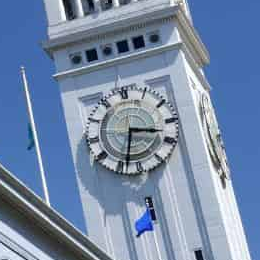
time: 3:33
